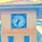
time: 7:32
